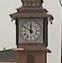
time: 11:50
